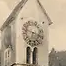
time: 6:47
